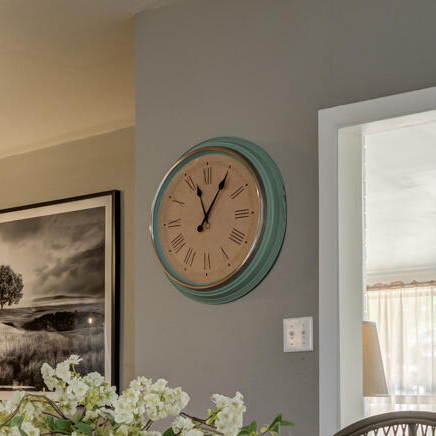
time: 11:05
